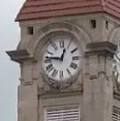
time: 12:46
